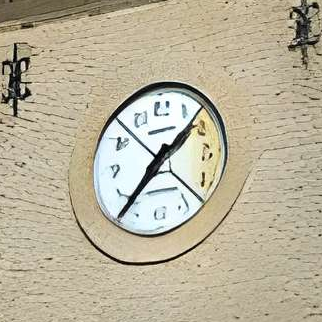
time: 1:37
